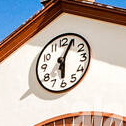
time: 6:04
